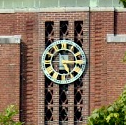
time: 5:15
